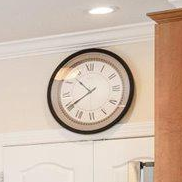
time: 10:40
